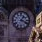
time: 1:18
